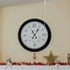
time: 11:05
